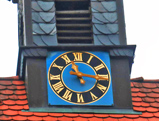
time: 11:16
